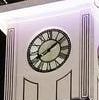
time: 8:09
